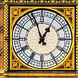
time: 12:57
